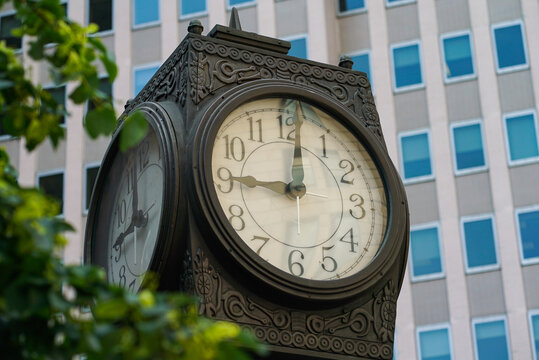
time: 9:01
